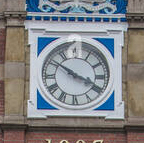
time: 3:50
